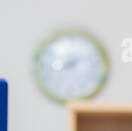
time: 8:12
